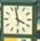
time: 3:58
